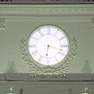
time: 6:17
